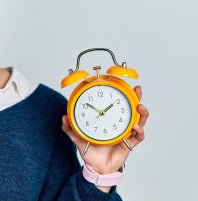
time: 1:51
